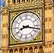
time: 8:17
